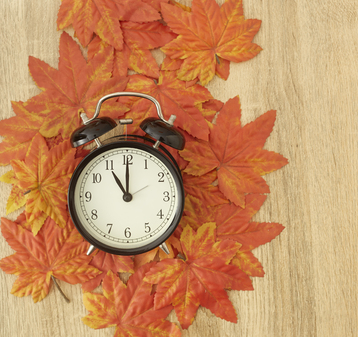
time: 11:00
